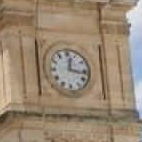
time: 12:16
